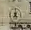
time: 7:00
